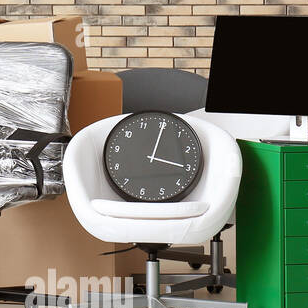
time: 3:00
